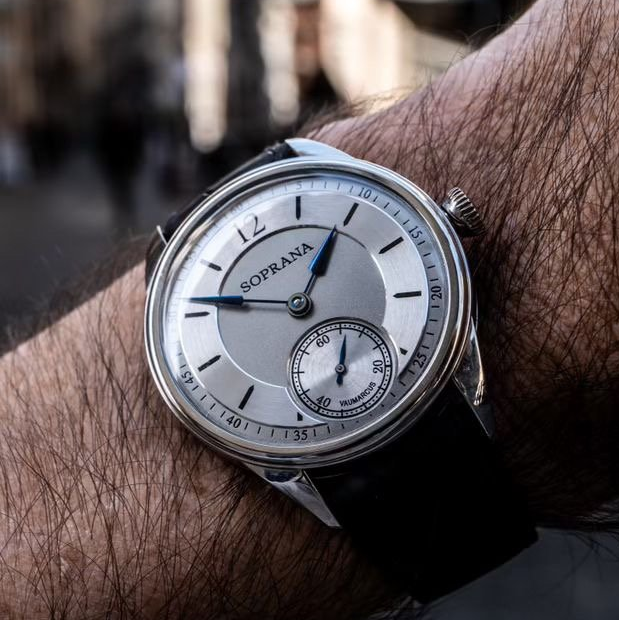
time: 12:46
